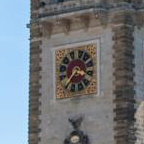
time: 3:36
